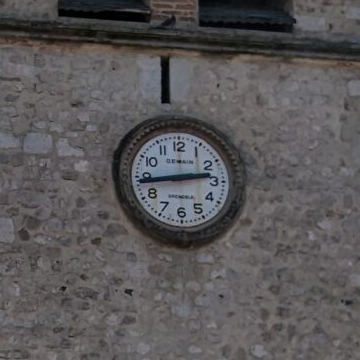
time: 2:43
